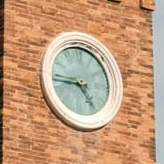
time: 4:44
